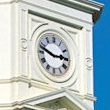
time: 2:48
